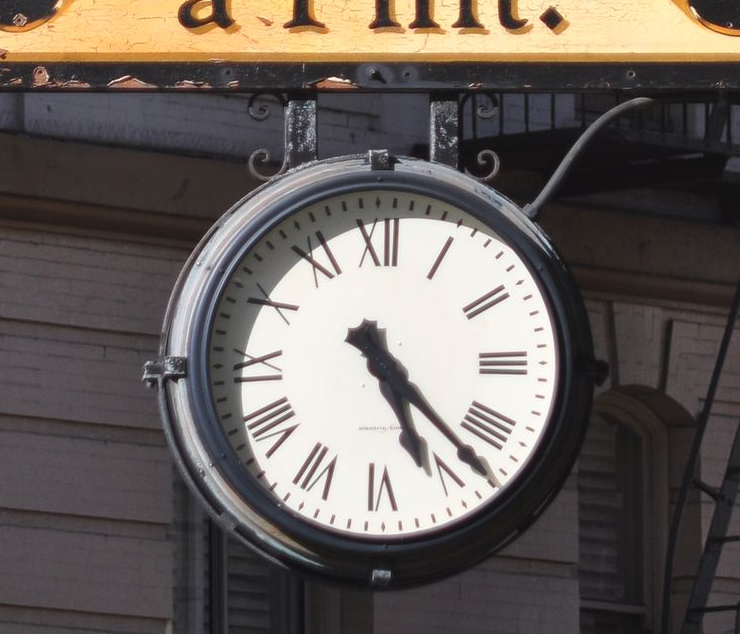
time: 5:23
